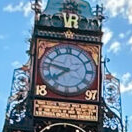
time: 7:47
